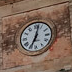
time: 7:02
